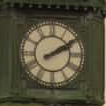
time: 2:09
